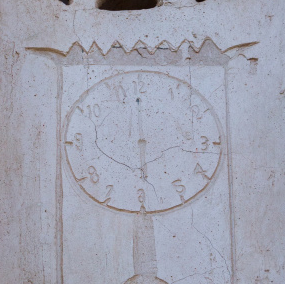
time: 5:59
